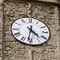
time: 4:31
